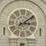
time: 3:09
